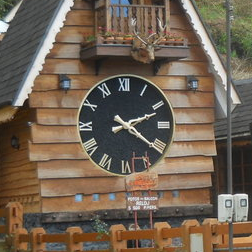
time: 2:21
